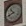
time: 10:41
